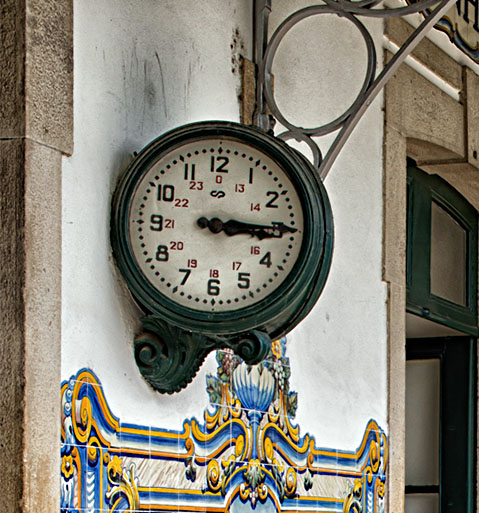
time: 3:14
